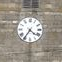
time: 4:35
